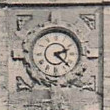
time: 2:22
